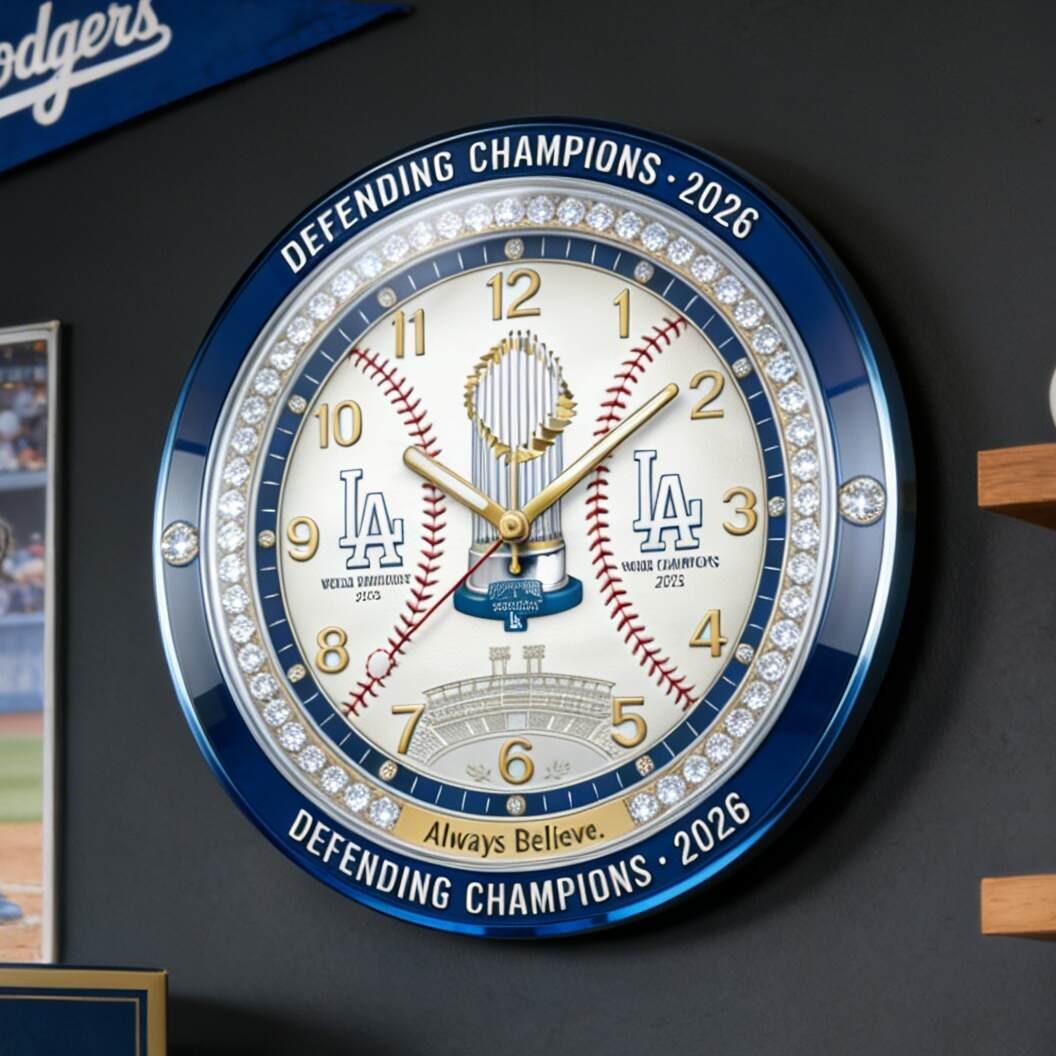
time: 12:08
